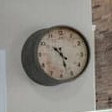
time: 10:27
